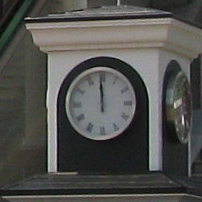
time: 11:59
